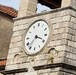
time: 3:36
